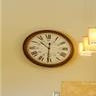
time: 10:31
